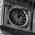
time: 12:07
